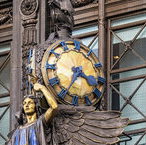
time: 3:35
